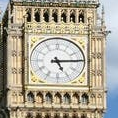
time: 5:14
